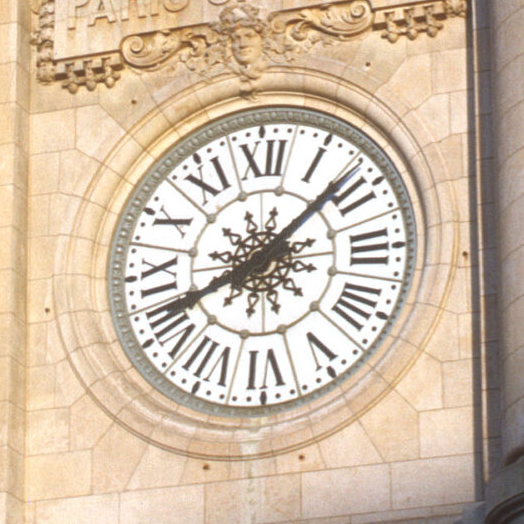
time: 8:08
